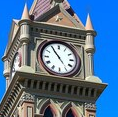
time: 10:54
